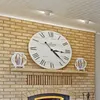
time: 3:22
